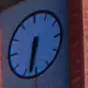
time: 6:32
